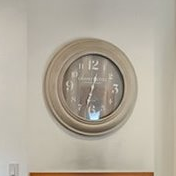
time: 12:32
